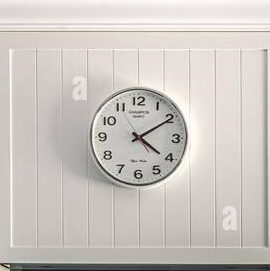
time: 4:09
